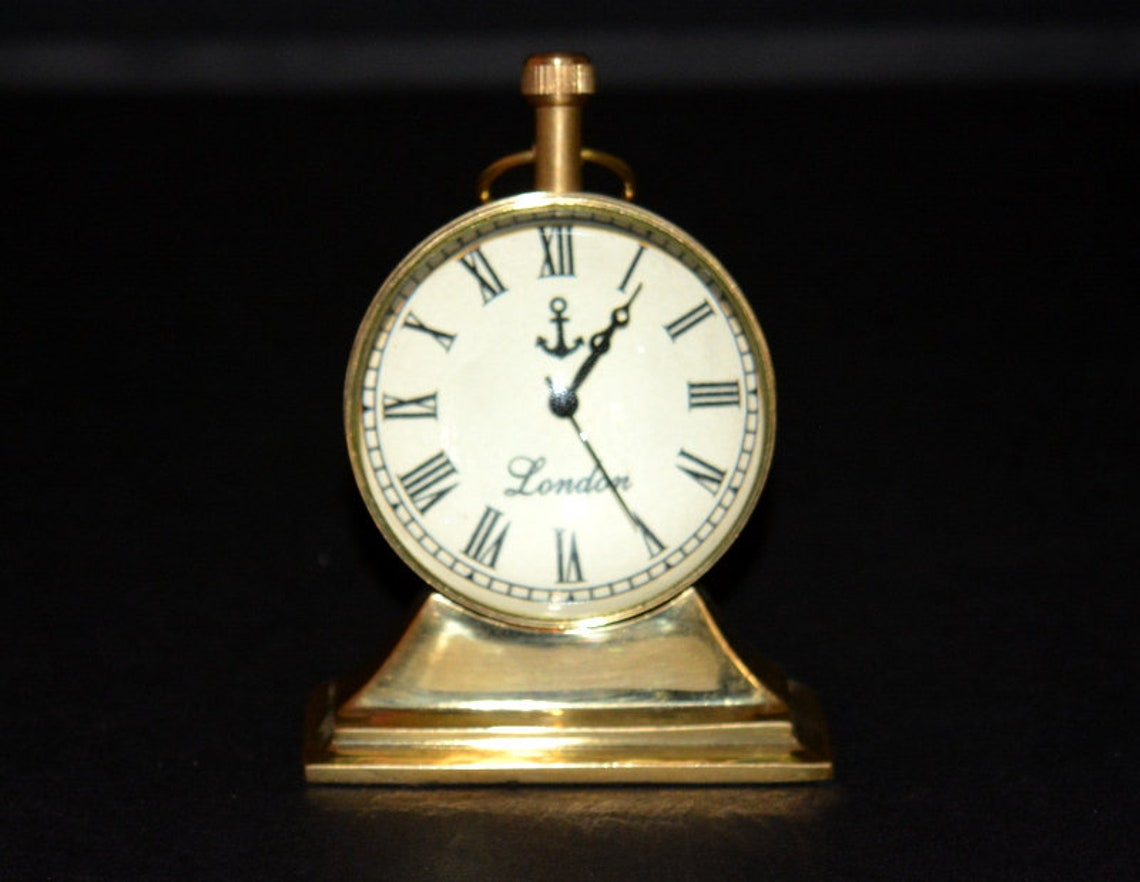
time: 1:05
